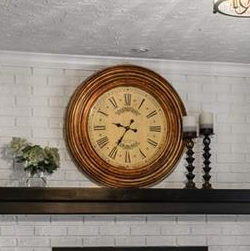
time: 9:35
